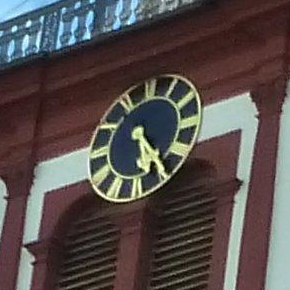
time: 5:23
